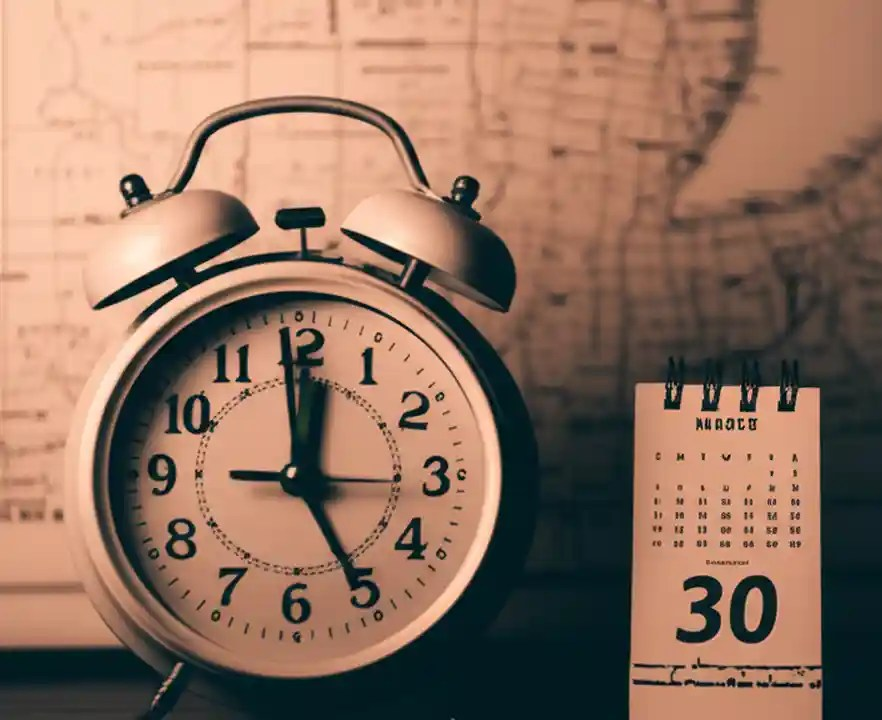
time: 12:25
